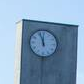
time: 11:56
